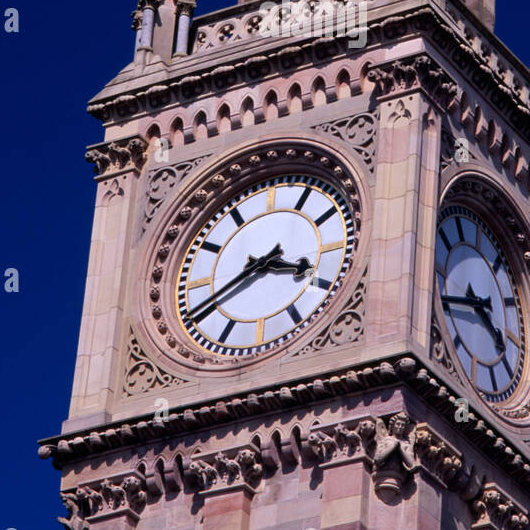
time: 3:40
